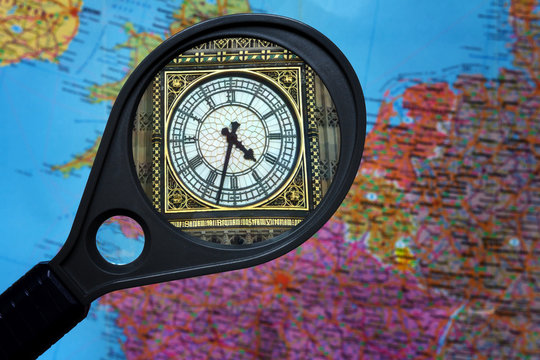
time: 4:32
